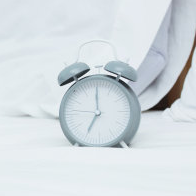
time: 6:59
